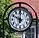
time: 10:00
